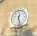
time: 12:27
